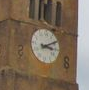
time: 3:09
